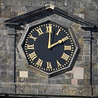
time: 2:00
